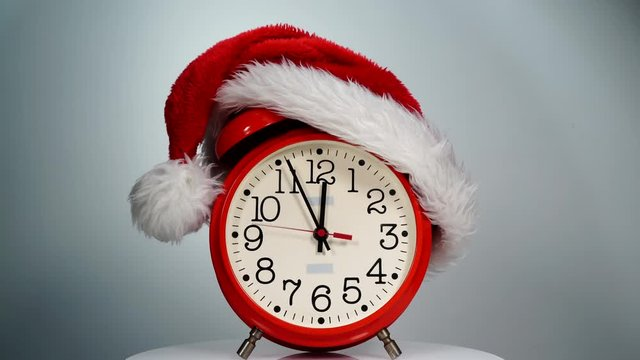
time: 11:55
